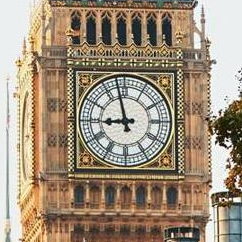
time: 8:57
